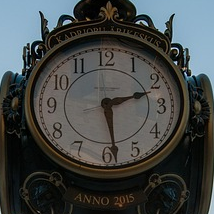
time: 2:28
